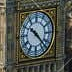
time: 10:22
